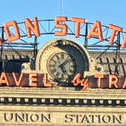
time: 5:07
